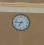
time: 6:46
